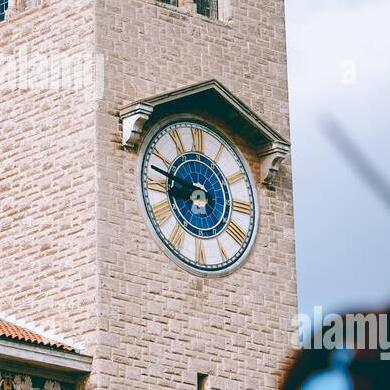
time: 6:47
